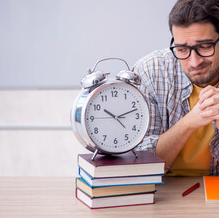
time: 10:12
